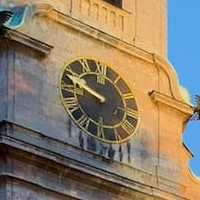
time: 9:48
